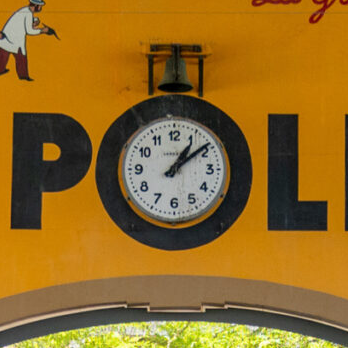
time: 1:08
